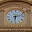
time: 6:12
